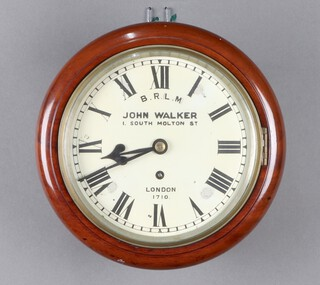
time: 8:41
